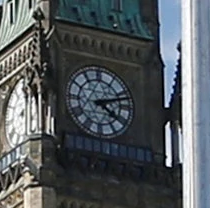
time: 4:12
